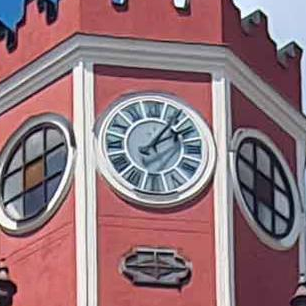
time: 2:06
